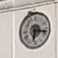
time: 6:17
